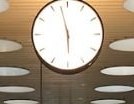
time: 5:57
